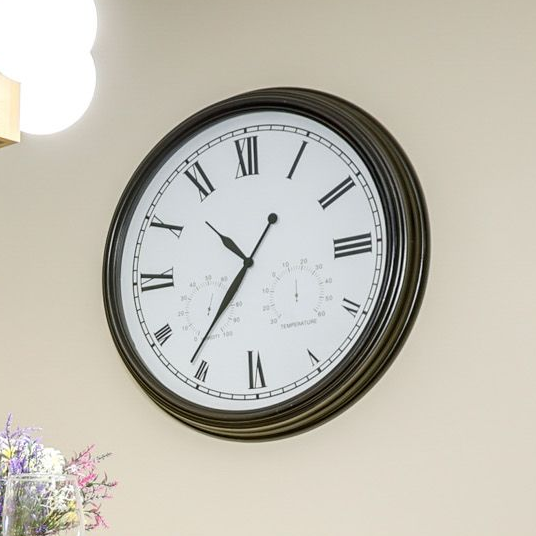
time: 10:36
